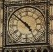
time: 4:52
